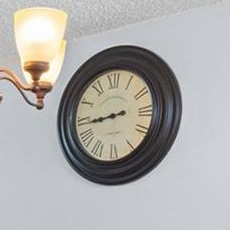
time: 8:43
